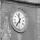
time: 11:35
